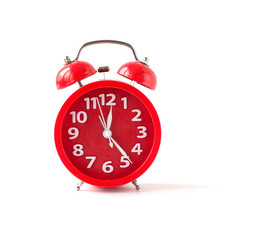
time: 12:23
